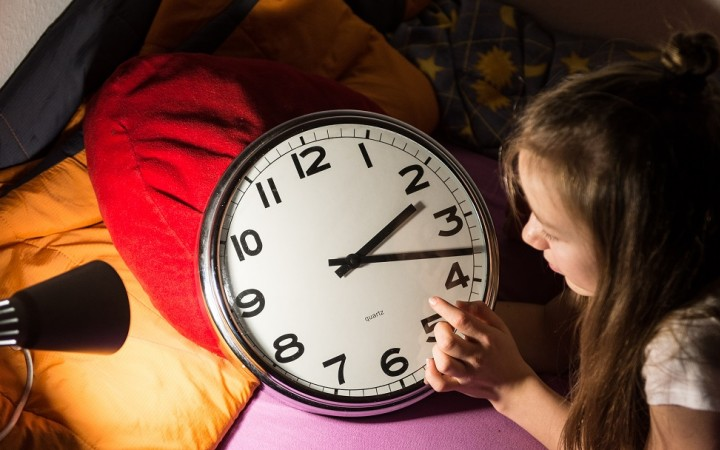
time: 2:18
